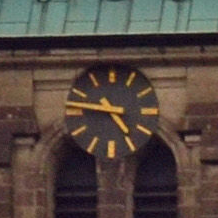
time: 4:46
